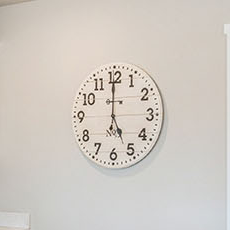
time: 4:59
